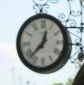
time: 12:37
